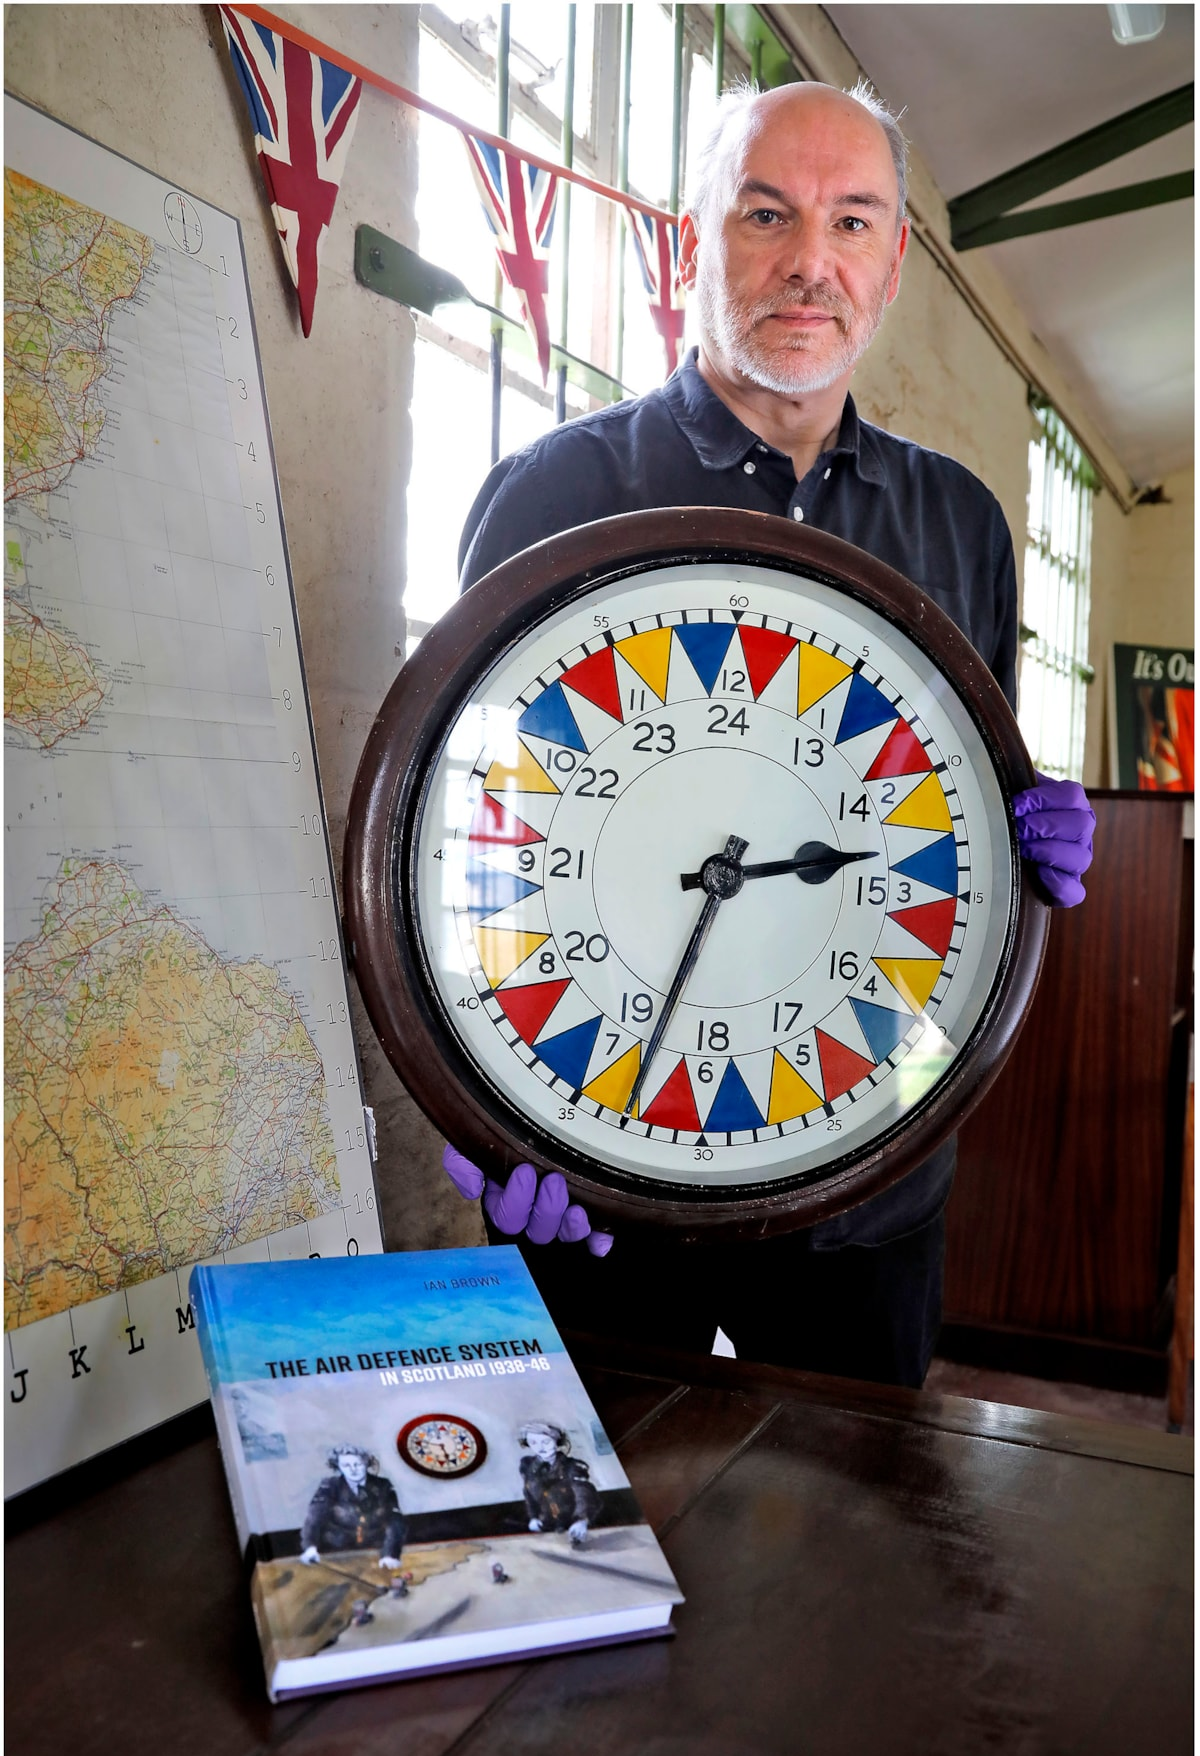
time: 2:33
